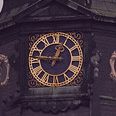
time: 12:46
